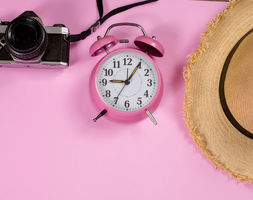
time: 9:05
